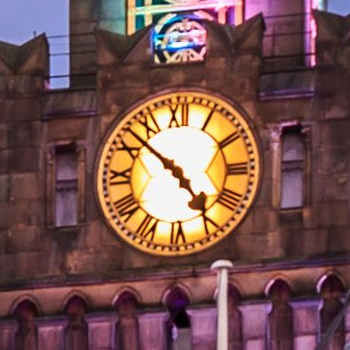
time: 4:52
